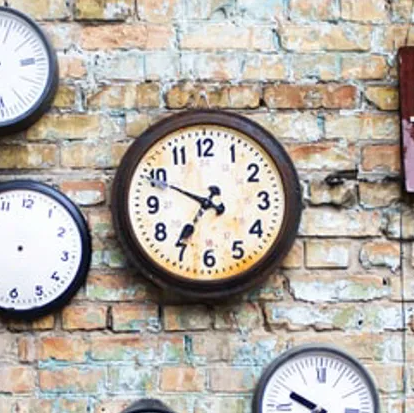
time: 6:49
